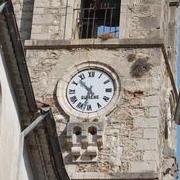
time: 10:32
